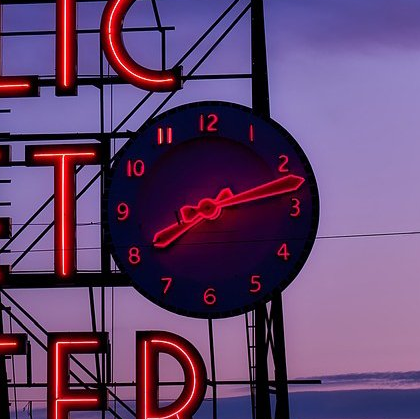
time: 8:13
